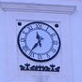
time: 11:36
